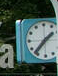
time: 1:36
